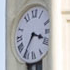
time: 3:35
